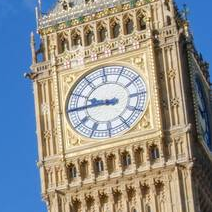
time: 9:45
